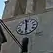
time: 5:59
